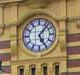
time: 5:06
